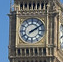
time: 2:09
